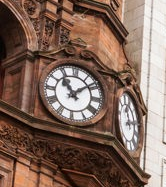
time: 11:08
